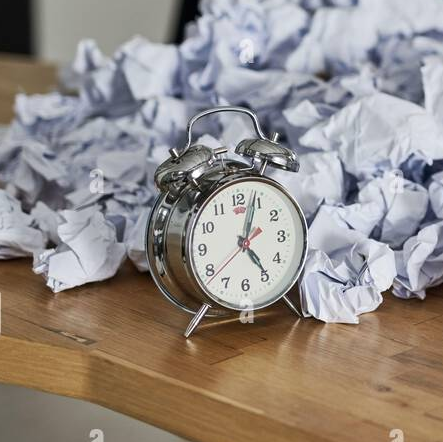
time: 5:03
